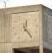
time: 12:23
